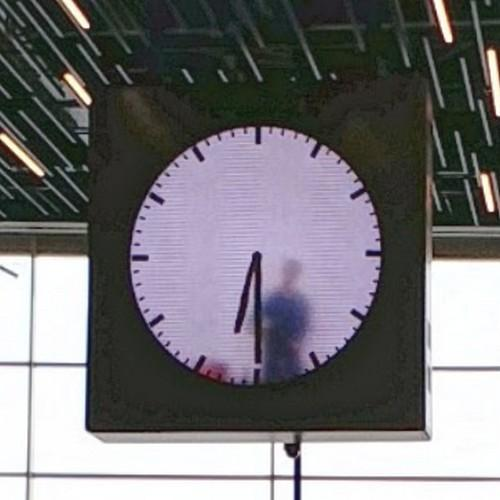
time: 6:29
